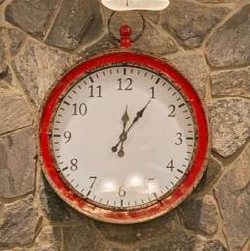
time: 12:05
